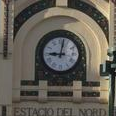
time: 9:01
